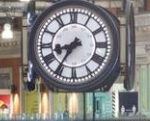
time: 8:35
